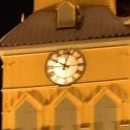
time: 10:02
